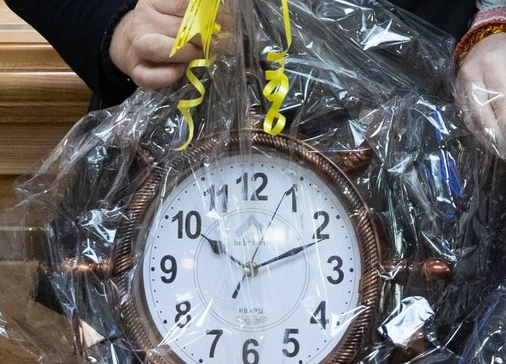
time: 10:11
